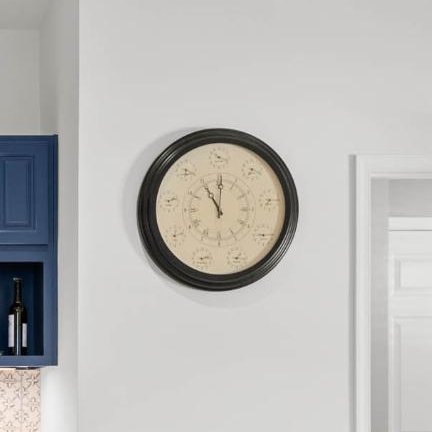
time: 11:00
